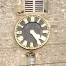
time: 4:23
